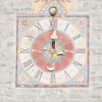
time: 12:00
